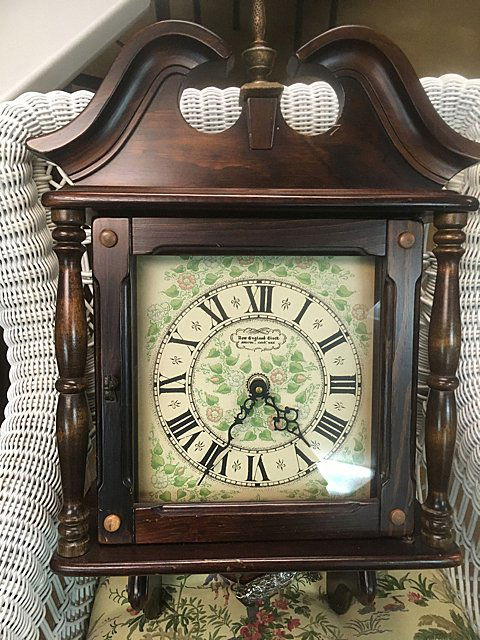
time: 4:35
